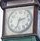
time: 2:33
